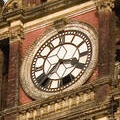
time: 3:37
